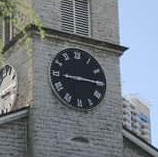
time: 9:15
